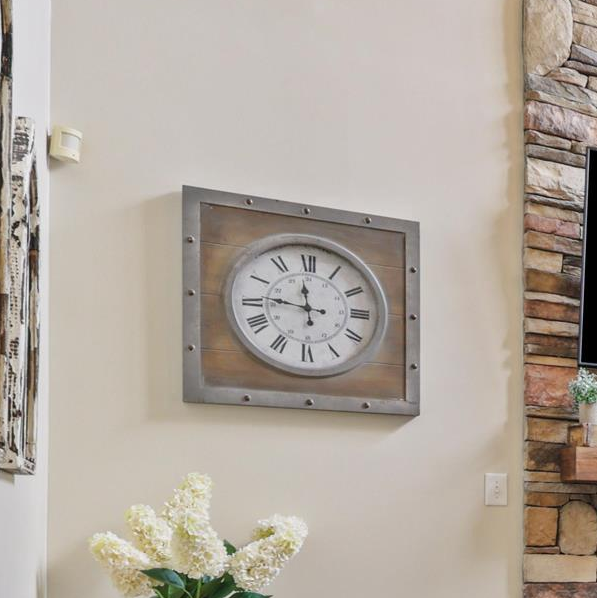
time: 11:46
